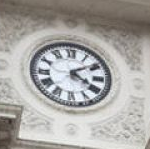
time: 4:09
